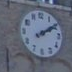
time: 2:09
